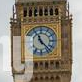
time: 11:22
